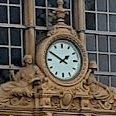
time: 1:50
